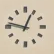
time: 12:47
